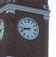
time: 8:42
